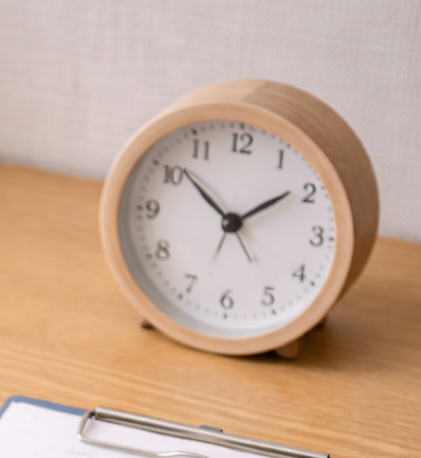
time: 1:51
